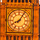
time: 8:06
